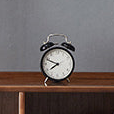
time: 7:48
